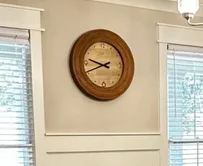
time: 9:41
